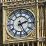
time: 2:25
